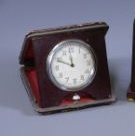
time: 11:49
